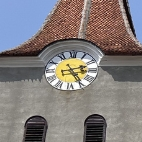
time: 2:24
